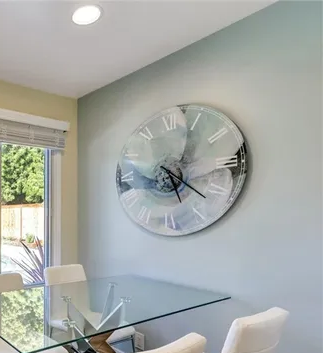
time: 5:21
